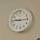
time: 9:14
